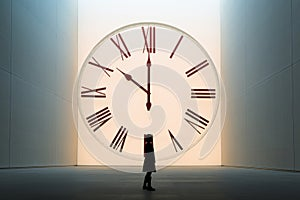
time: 10:00
